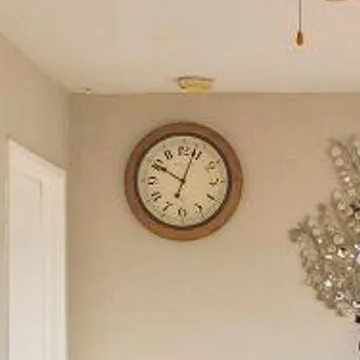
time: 10:03
